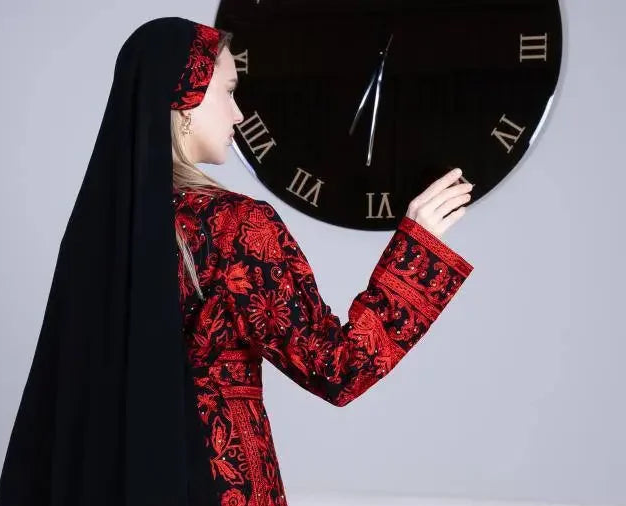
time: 6:30
